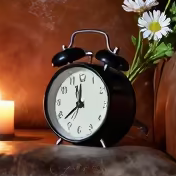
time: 11:37
